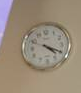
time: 4:19
